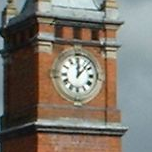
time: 12:07
